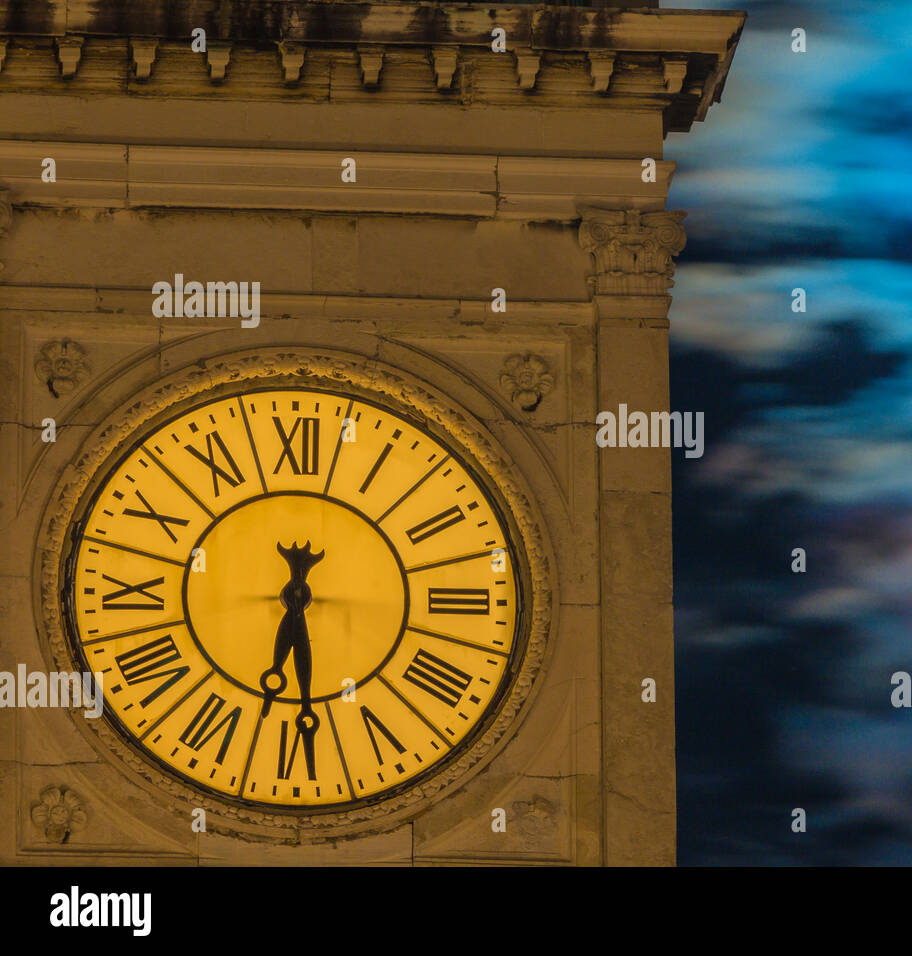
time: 6:29
